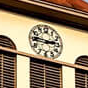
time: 2:46
